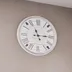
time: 11:14
